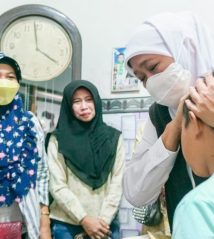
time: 3:58
